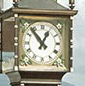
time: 12:53
